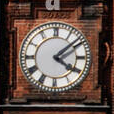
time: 4:08
